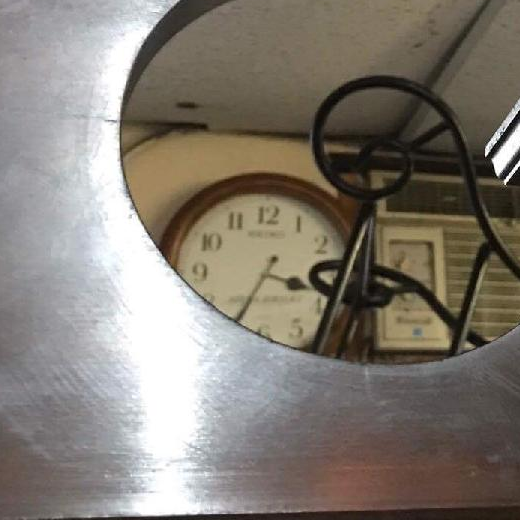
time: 3:34
